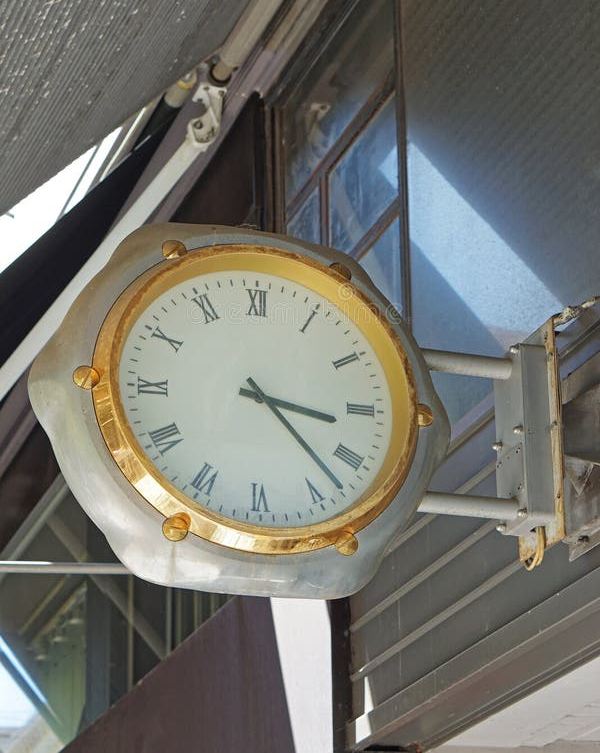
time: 3:22
